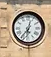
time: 12:36
